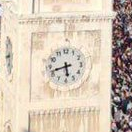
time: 5:42
